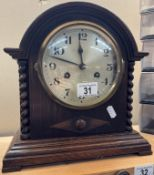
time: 11:47
